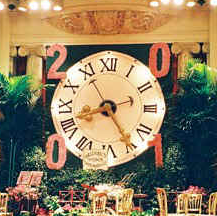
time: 8:24
